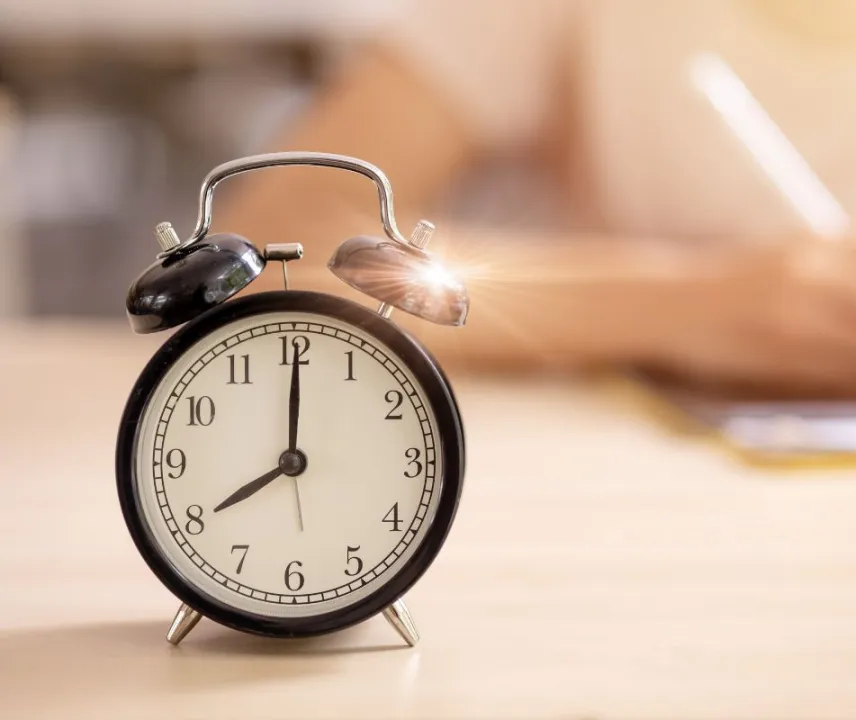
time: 8:00
